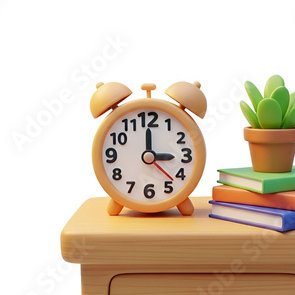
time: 2:59
